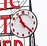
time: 11:22
